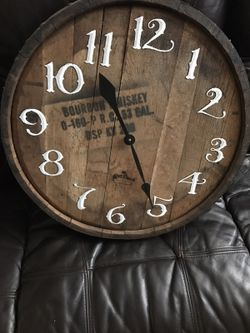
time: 10:25
